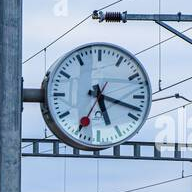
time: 5:18
